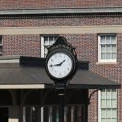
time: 1:43
